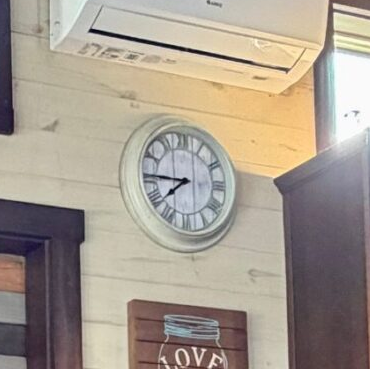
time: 7:45
